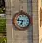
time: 6:46
